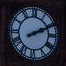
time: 2:10
